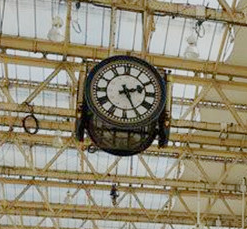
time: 2:25
